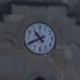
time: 10:41
